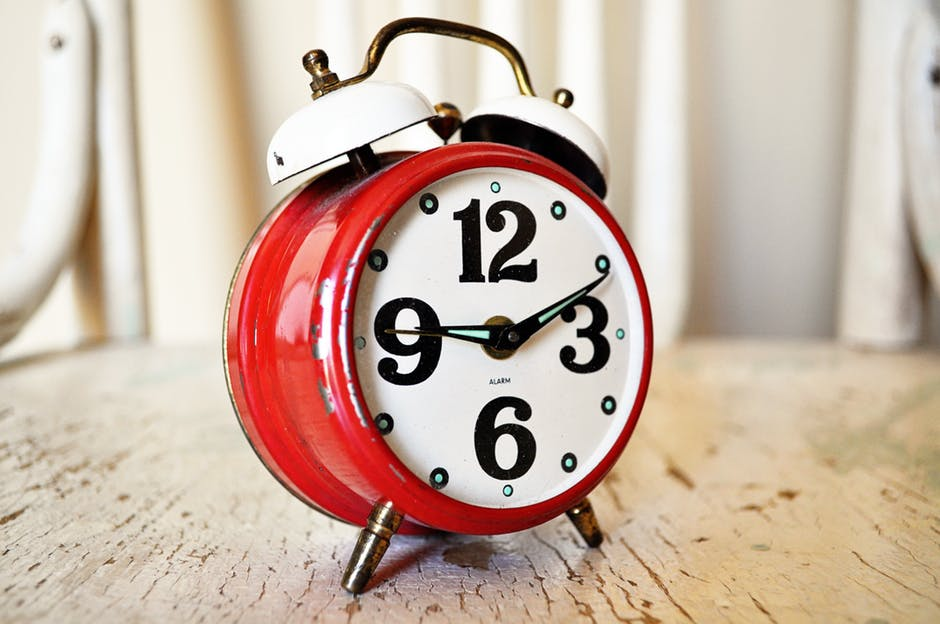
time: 9:10
